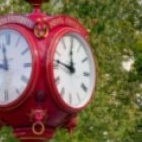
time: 11:46
